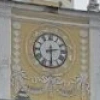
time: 2:29
